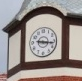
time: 9:16
